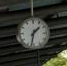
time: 1:32
